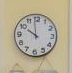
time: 9:58
